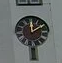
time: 12:09
